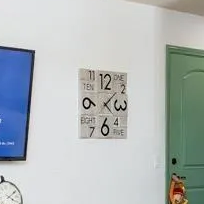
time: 4:09
